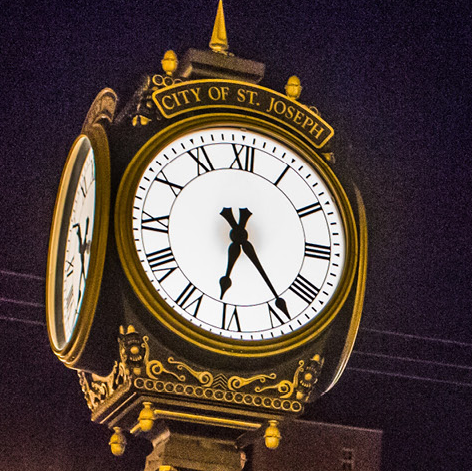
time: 6:23
